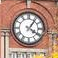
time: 4:06
